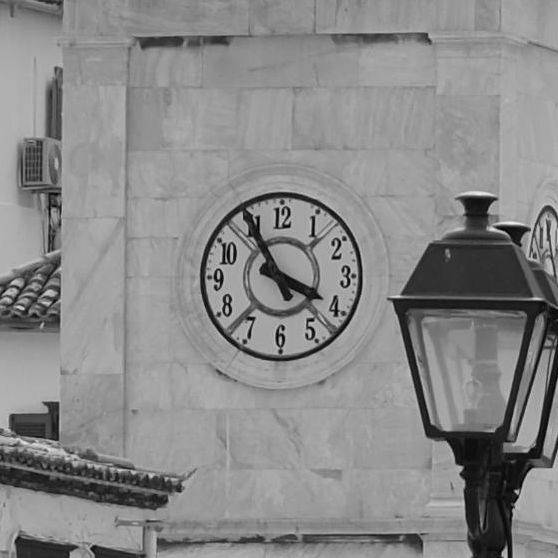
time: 3:55
